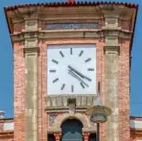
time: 4:20
